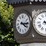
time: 4:14
